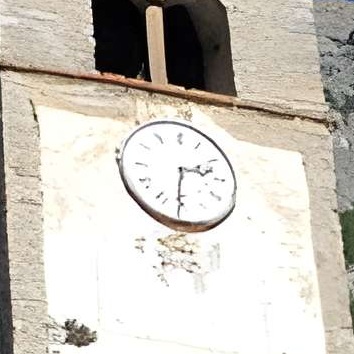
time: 2:30
